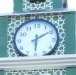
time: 6:09
